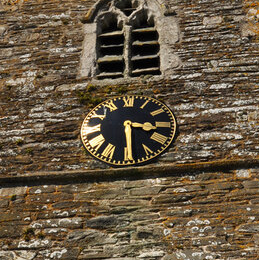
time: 3:29
